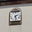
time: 1:28
